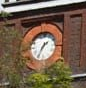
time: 1:35
